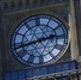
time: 2:43
